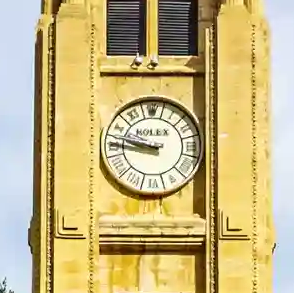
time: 9:45
